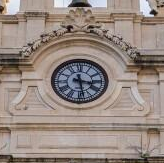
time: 3:28
